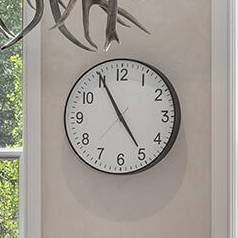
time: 4:55
